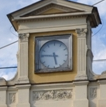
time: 5:46
